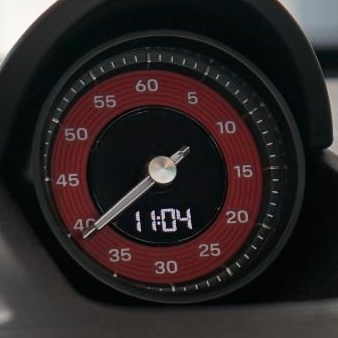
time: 7:39
